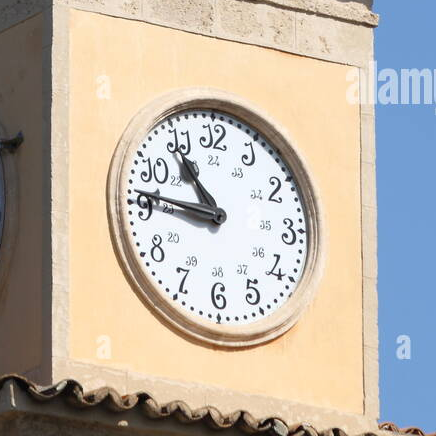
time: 10:46
